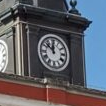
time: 11:52
